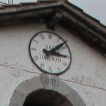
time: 3:07
